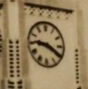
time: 9:20
